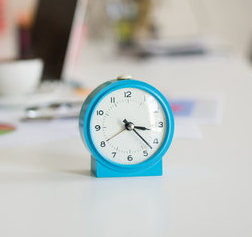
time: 3:22
